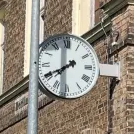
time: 7:40
